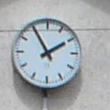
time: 1:55
